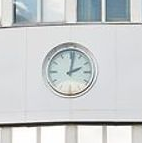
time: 2:01
